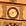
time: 10:42
